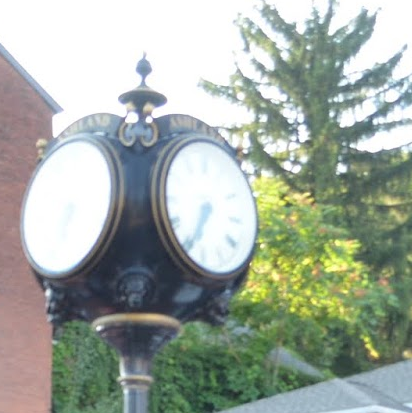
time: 6:34
